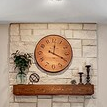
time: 12:19
